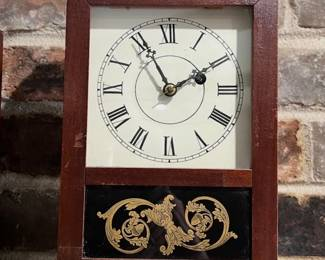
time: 1:56
